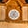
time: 5:03
